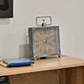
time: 1:18
